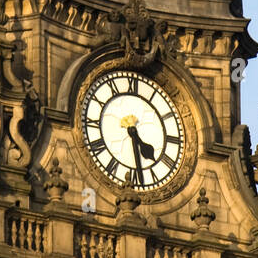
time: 4:28
